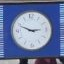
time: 2:48
